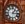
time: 1:16
